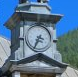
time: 3:34
